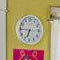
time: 6:45
